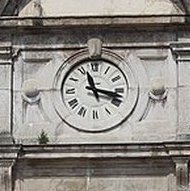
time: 11:17
